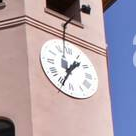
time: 1:34
